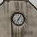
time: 7:06
